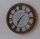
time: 7:07
